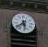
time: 5:38
